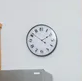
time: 1:51
